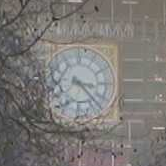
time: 3:22
